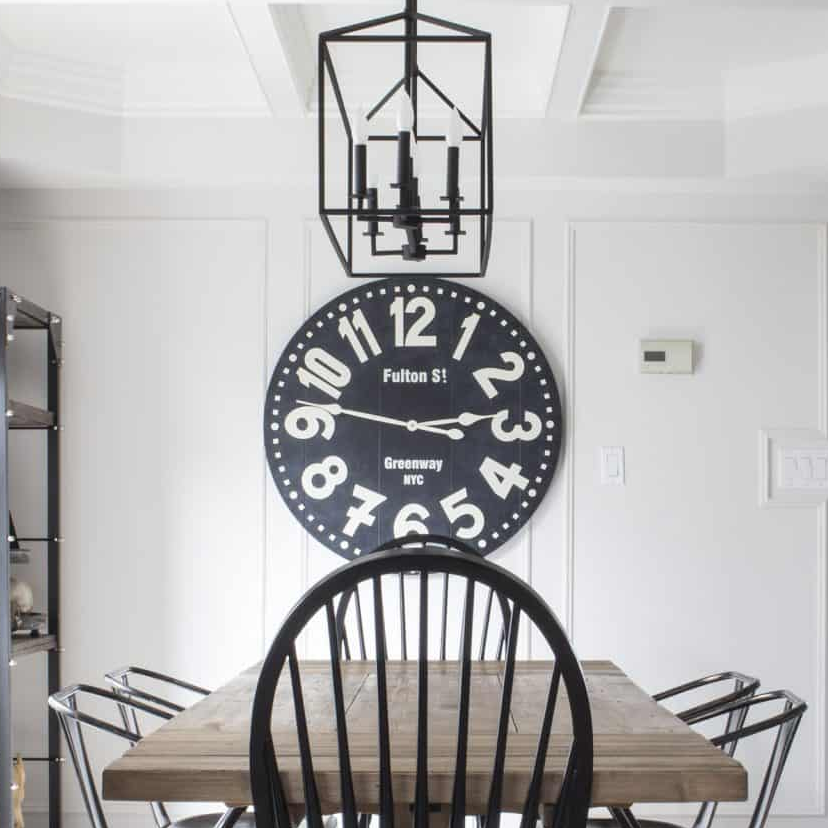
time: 2:47
